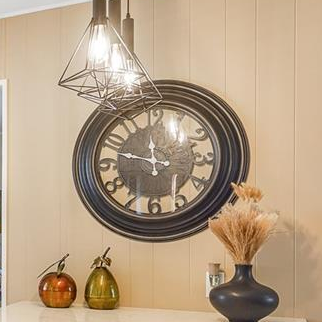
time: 11:48
